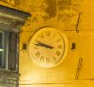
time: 9:47
